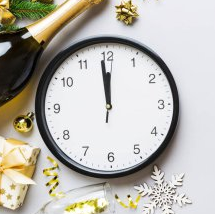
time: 11:58
